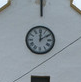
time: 12:09
